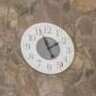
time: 1:56
